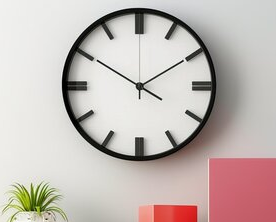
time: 1:50
